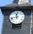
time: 11:42
